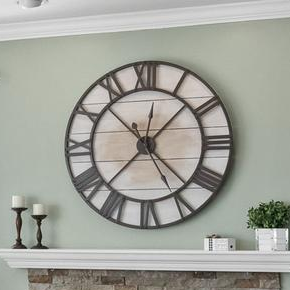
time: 1:37
